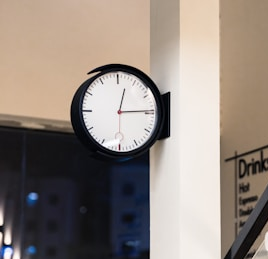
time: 12:14
